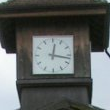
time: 12:17
